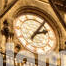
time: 2:06
